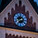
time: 8:37
